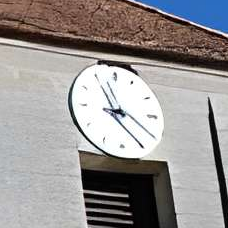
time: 8:56
